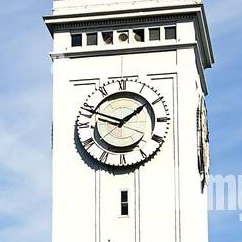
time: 1:48
